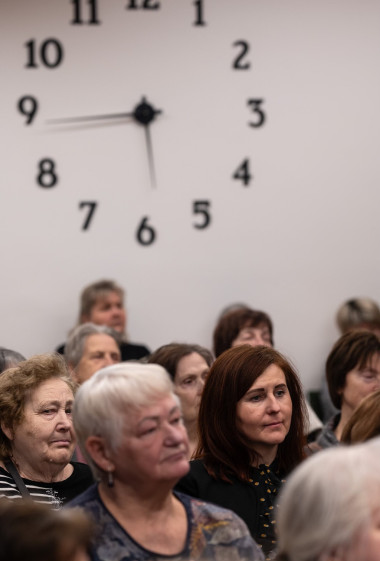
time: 5:43
